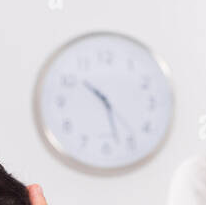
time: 10:27
